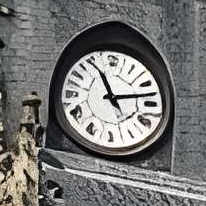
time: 11:12
